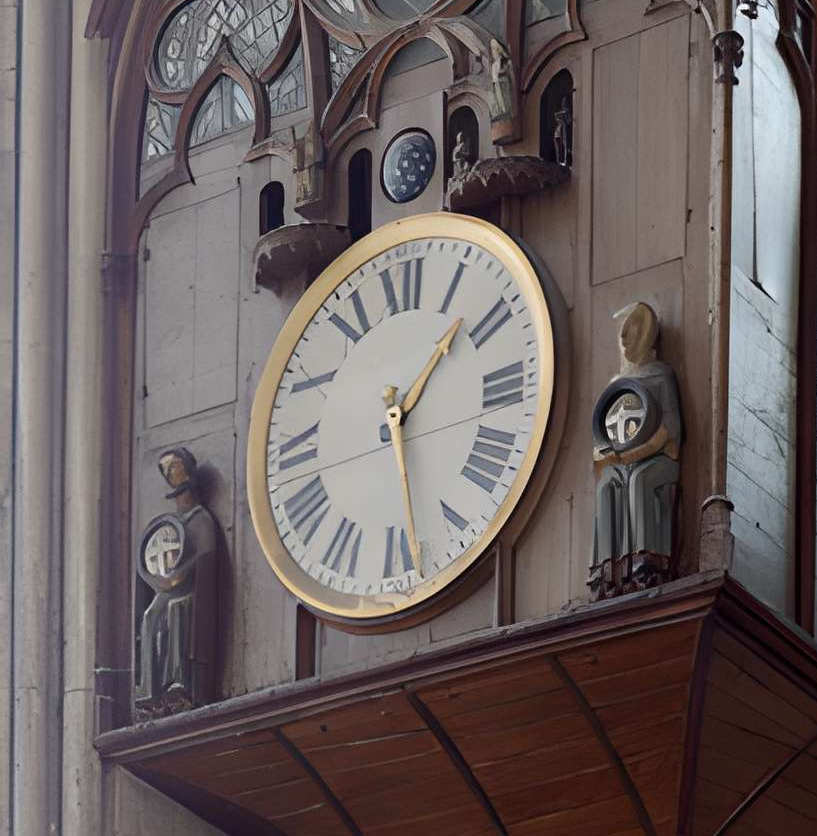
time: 1:28
